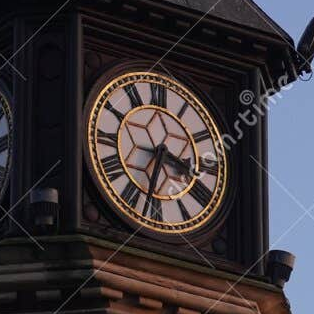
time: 3:32
